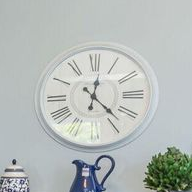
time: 12:22
